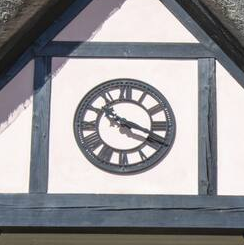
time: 10:18
